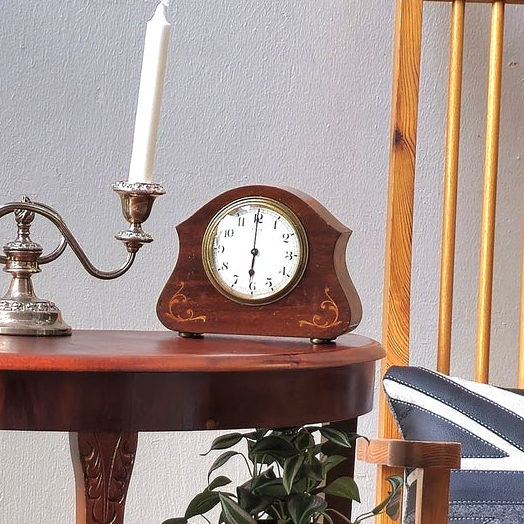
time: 6:00
